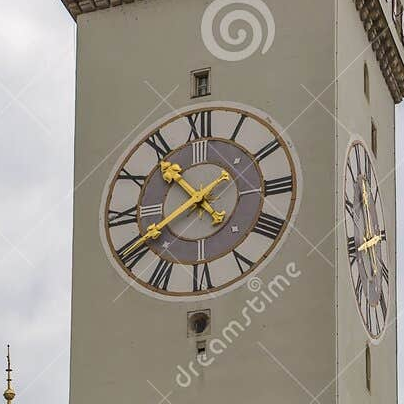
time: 10:40
